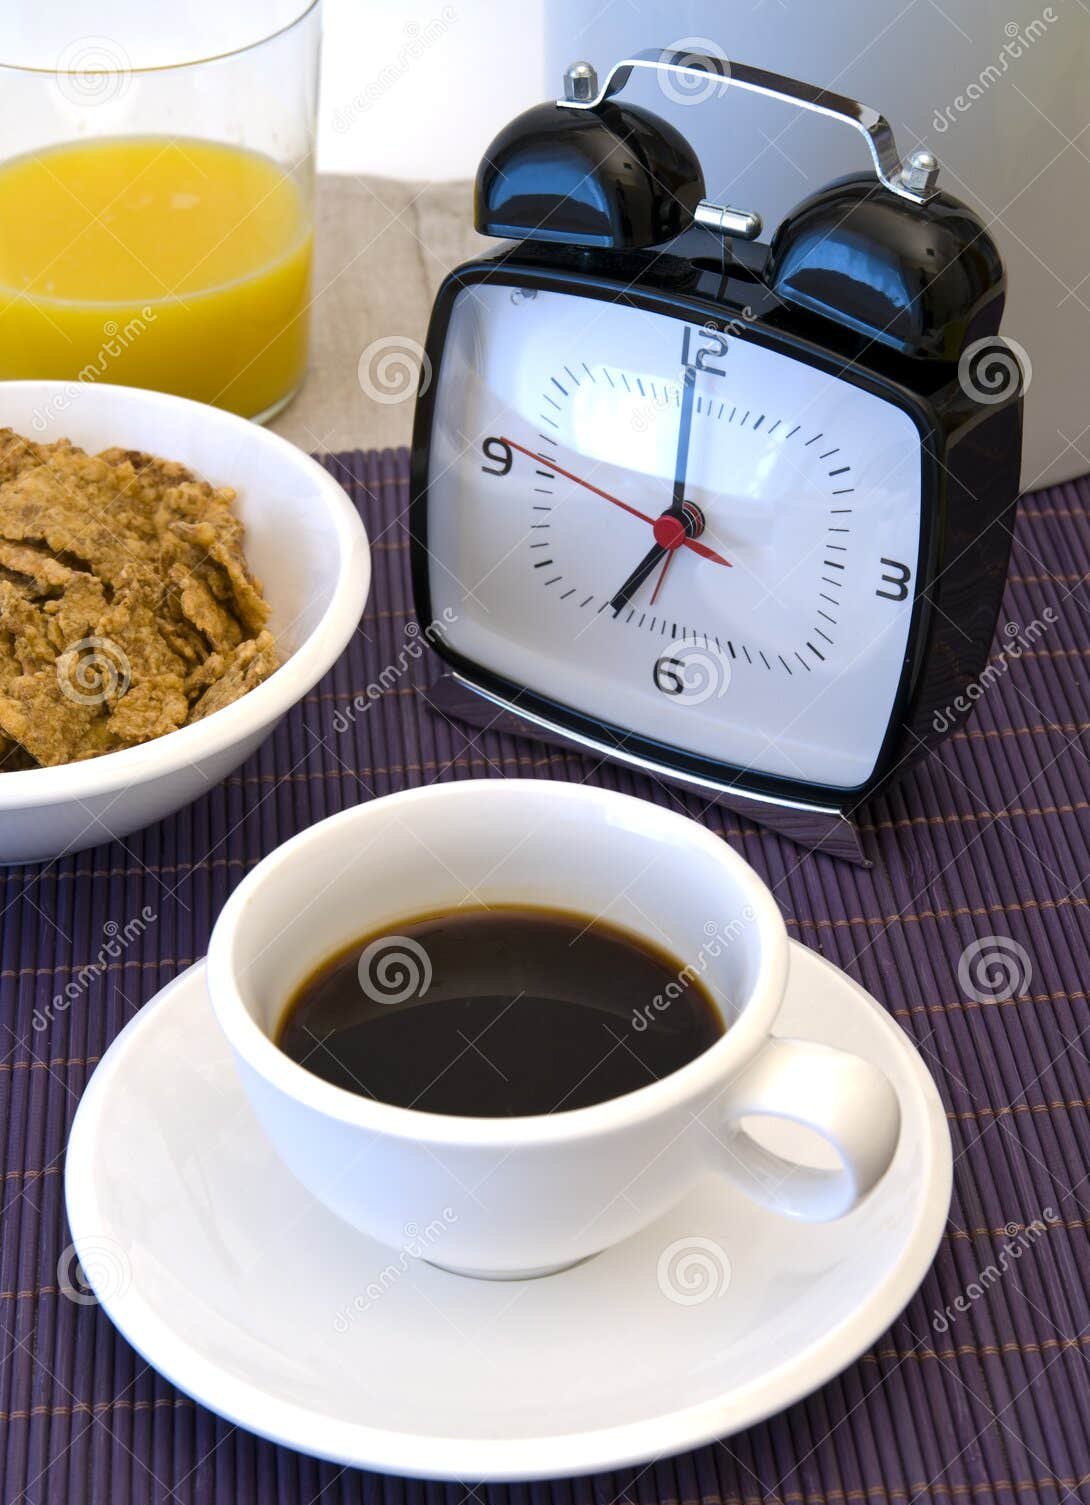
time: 6:58
